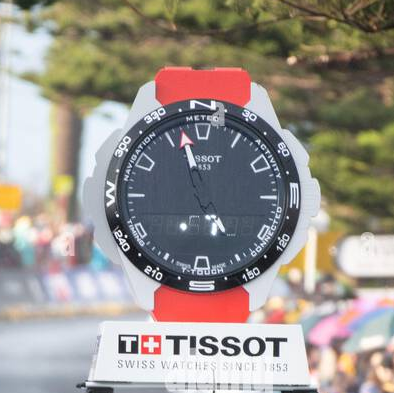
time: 4:57
